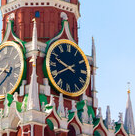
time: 9:40
